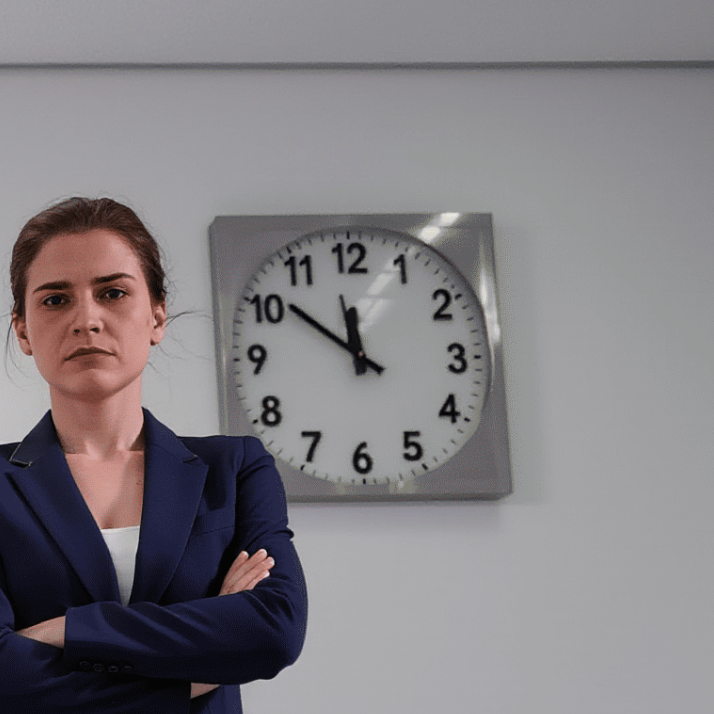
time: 11:51
